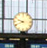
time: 9:41
